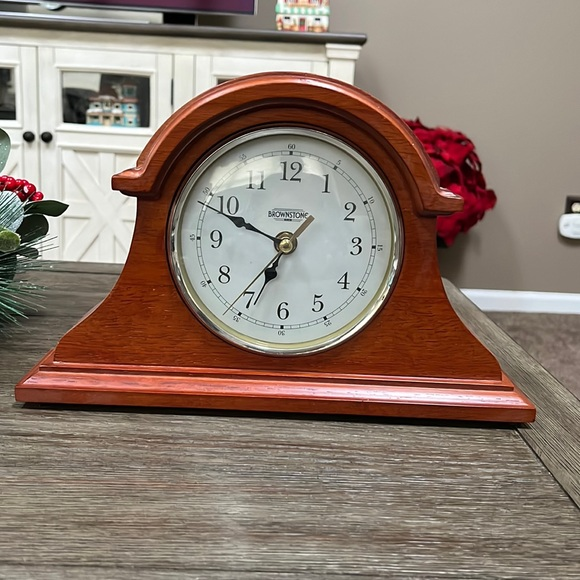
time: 6:49
